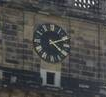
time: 2:21
